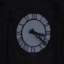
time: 3:21
